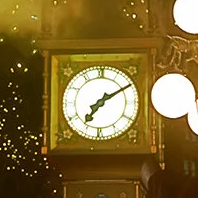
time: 7:09
